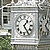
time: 1:24
